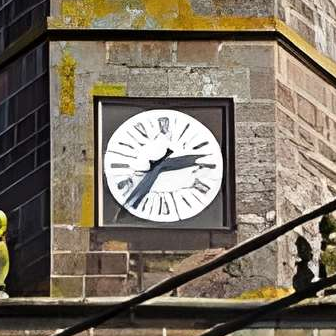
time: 2:35
